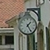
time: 1:24
